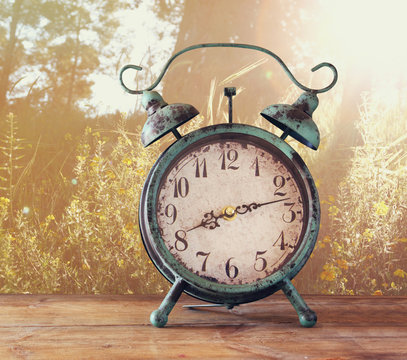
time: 8:12
